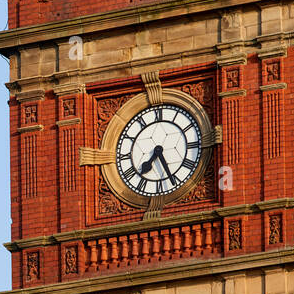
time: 7:25
